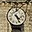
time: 4:26
